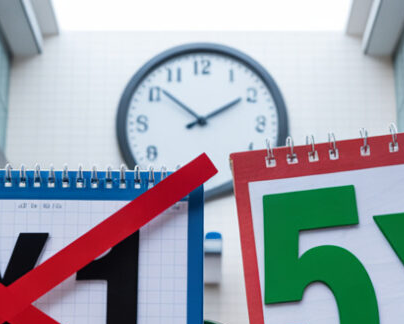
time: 1:51
